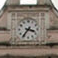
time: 3:36
